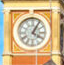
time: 4:05
